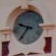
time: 9:36
